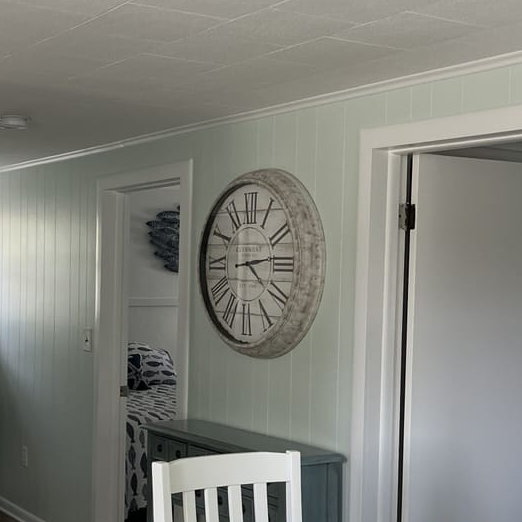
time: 4:13
